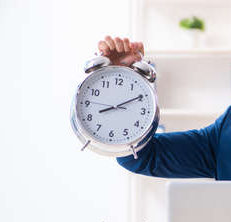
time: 8:09
